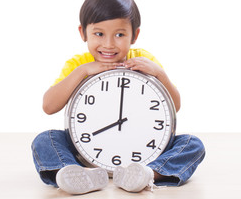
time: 7:59
